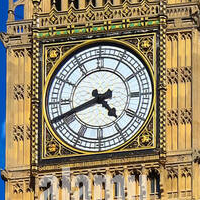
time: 4:41
